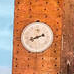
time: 8:11
